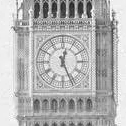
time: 12:26
